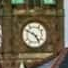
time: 4:49
